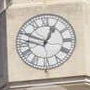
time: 12:49
